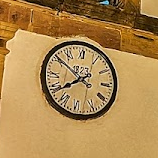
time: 7:50
